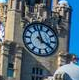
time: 3:57
